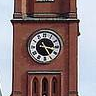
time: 3:24
